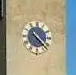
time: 4:21
